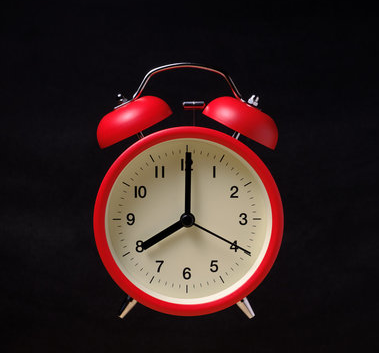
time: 8:00
